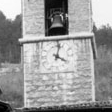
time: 4:02
